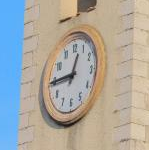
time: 12:44
